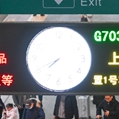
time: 7:40
